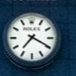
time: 7:19
